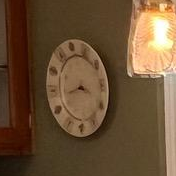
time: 3:43
